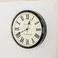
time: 12:41
